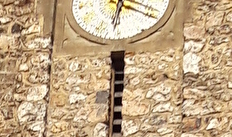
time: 6:19
